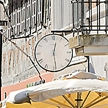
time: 12:28
